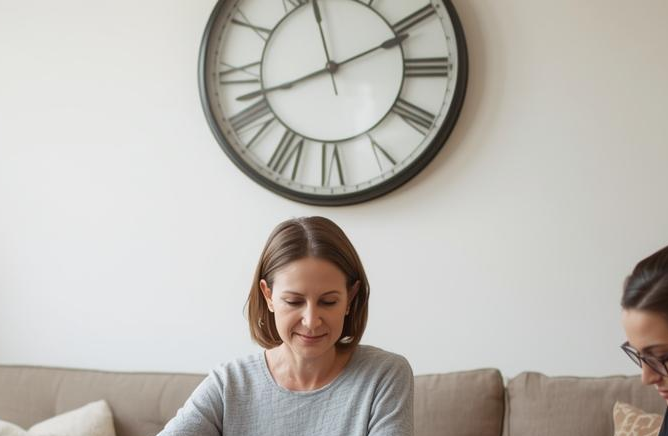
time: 11:41
